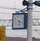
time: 5:18
